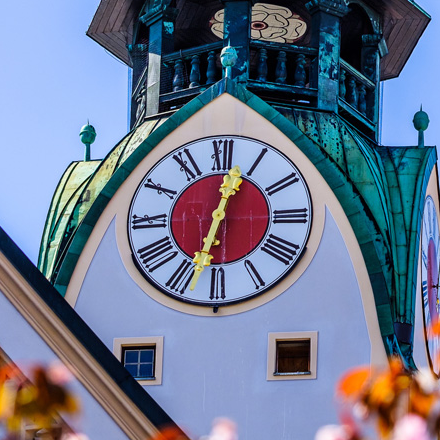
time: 12:32
